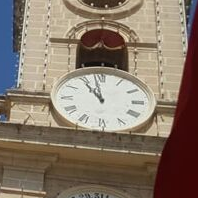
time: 10:58
